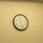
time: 11:26
